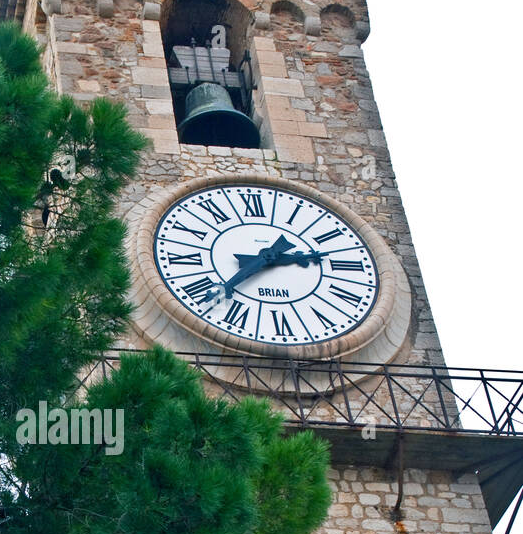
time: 2:38
